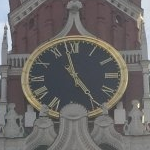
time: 4:57
